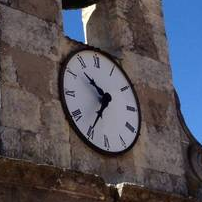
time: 10:35
